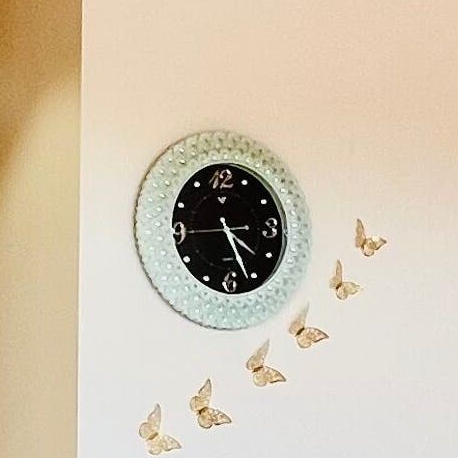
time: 4:26
